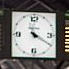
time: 4:20
